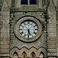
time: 5:30
